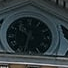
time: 10:32
